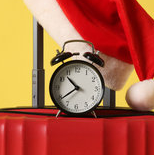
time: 10:39
